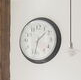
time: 1:32
